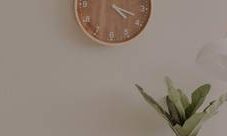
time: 4:18
